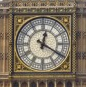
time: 12:20
